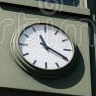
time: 11:19
